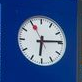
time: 6:14
